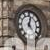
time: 12:23
